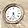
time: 5:33
